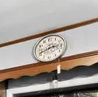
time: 2:41
